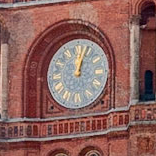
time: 12:03
